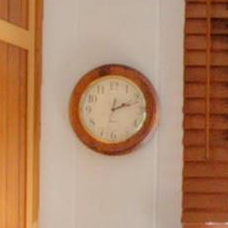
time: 2:12
